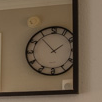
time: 1:53
